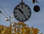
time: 10:24
